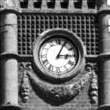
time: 3:04
